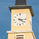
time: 4:14
